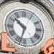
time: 10:33
